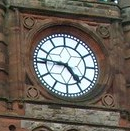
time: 4:46
